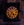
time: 4:36
